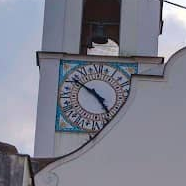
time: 4:50
